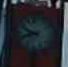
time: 9:42
